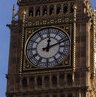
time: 12:11
